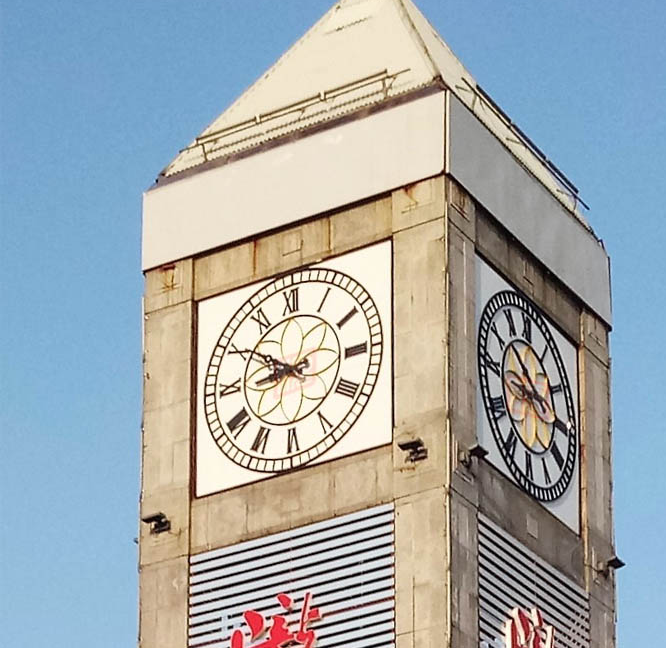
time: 8:50
